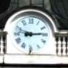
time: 9:14
